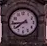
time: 7:44
